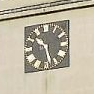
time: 10:28
